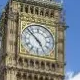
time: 4:52
